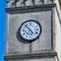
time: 4:52
